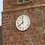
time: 7:59
